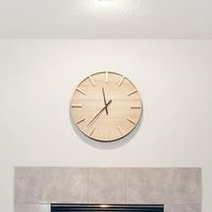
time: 11:37
